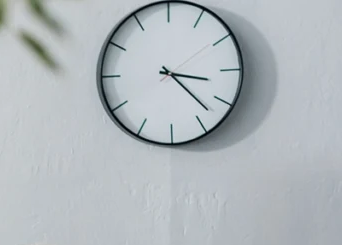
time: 3:22
